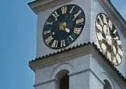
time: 4:52
